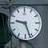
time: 9:26
